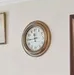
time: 11:44
